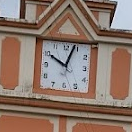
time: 10:03
